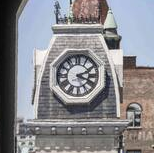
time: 2:18
